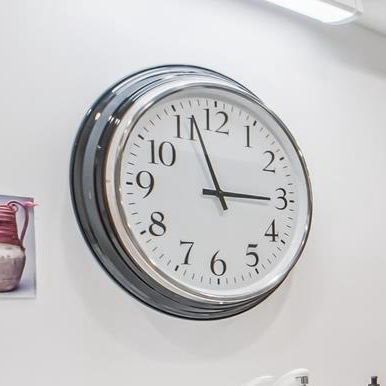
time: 2:56
